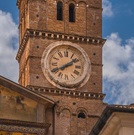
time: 1:40
